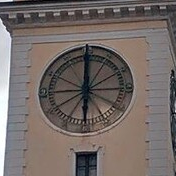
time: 5:59
